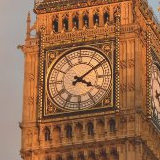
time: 4:09
